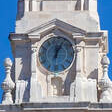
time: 12:04
